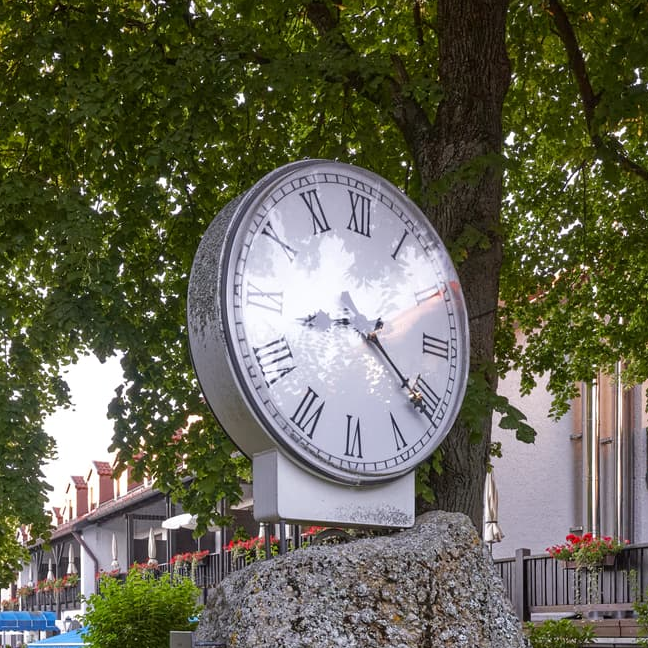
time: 8:21
